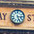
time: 5:14
